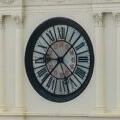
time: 9:07
